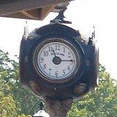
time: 11:14
